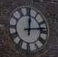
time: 12:13
